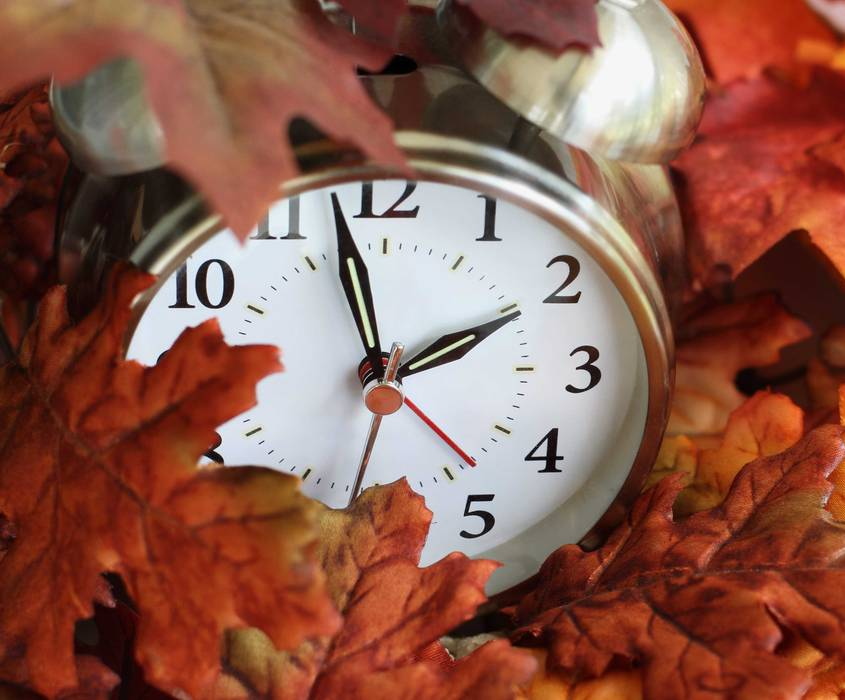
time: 1:57
